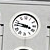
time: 3:47
